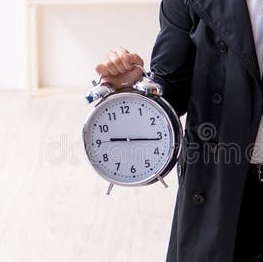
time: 9:16
